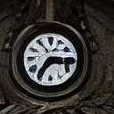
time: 7:15
